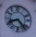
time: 8:23
